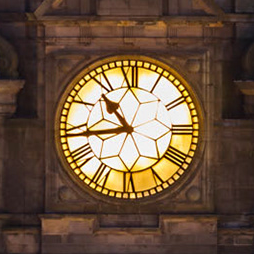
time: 10:43
